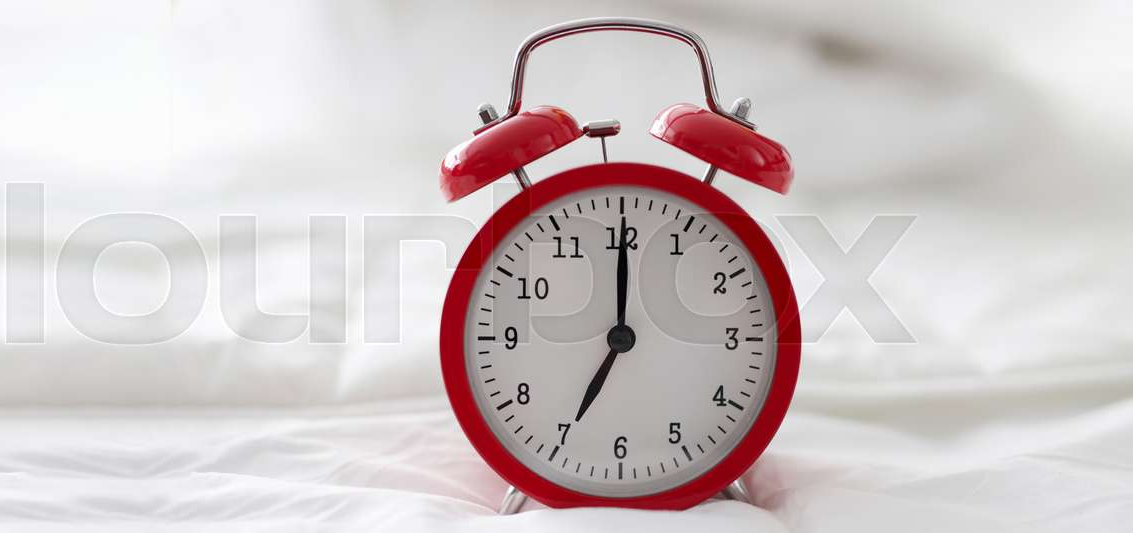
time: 7:00
